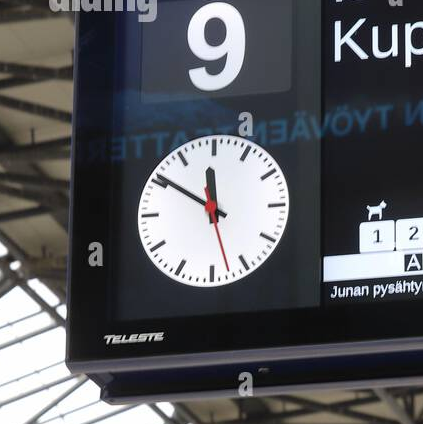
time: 11:50
